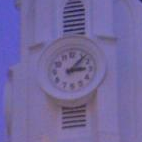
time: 3:07
